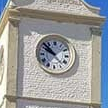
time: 9:52
